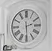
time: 2:29
